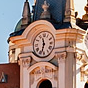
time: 11:32
